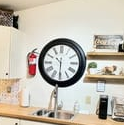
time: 10:30
